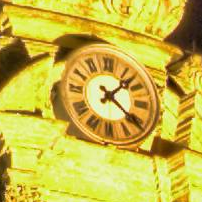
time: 1:21
